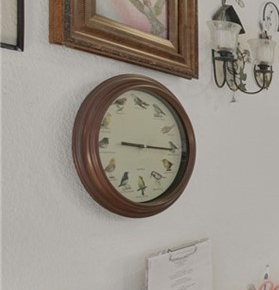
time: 9:15
